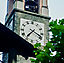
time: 7:19
